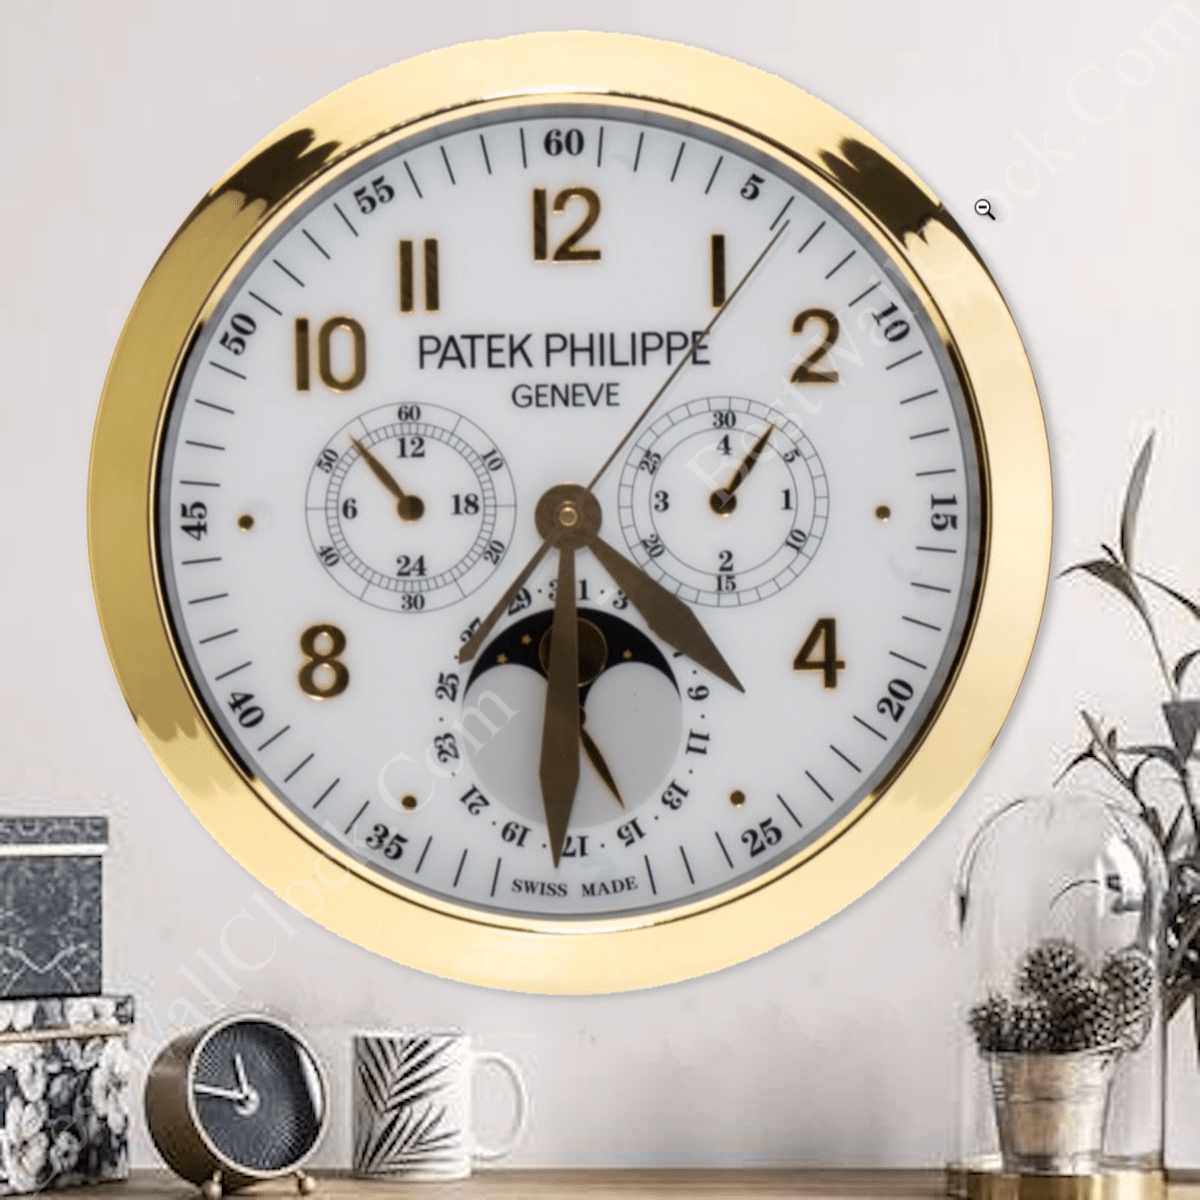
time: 4:31
